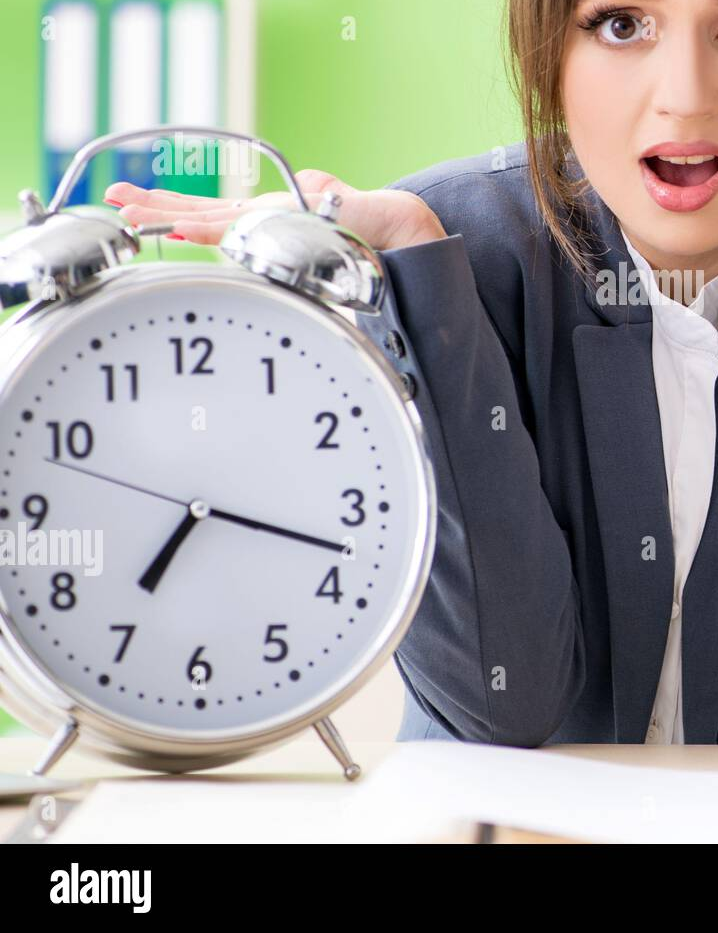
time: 7:17
